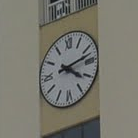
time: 4:12
